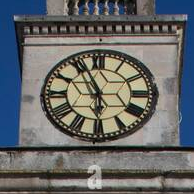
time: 5:56
